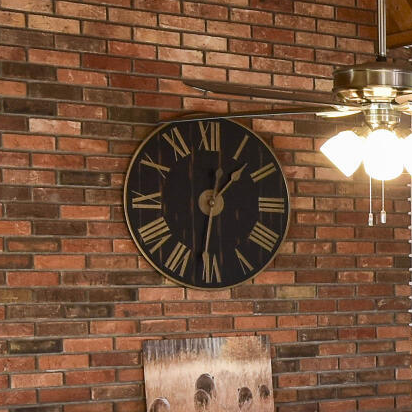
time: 12:31
